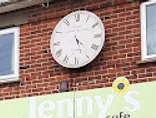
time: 4:27
